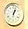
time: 1:02
